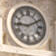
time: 9:10
